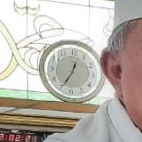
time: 12:34
